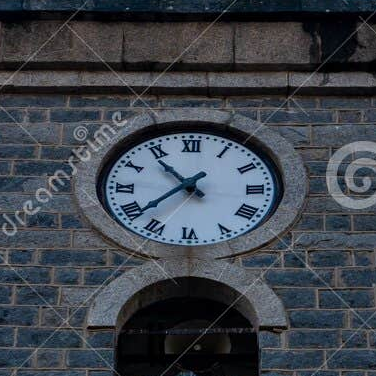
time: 10:38
